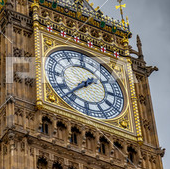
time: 1:37
